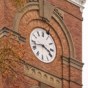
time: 3:42
